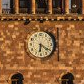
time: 6:20
